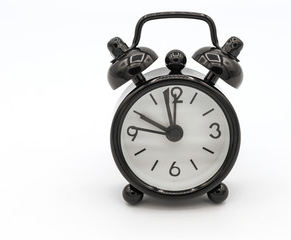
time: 9:58
